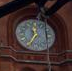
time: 11:35
